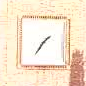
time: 1:36
